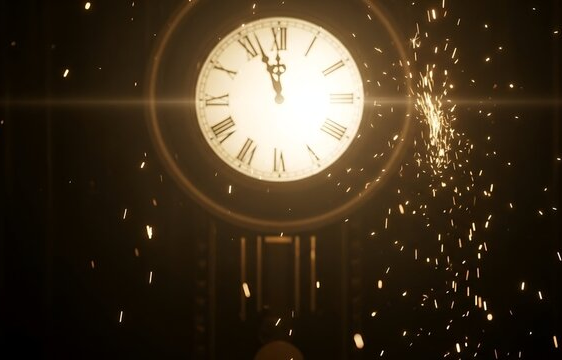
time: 11:56
